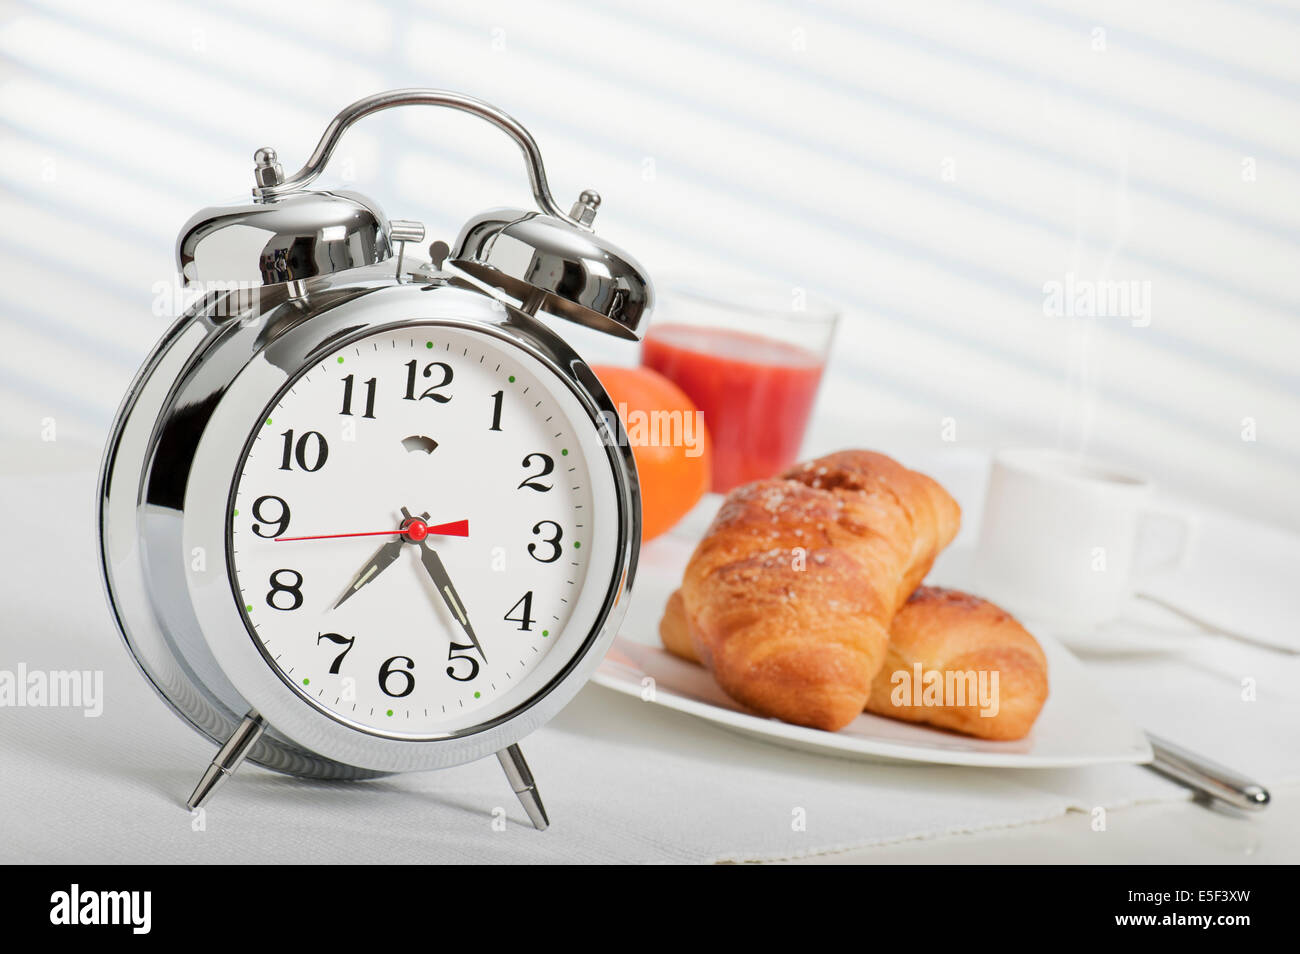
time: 7:23
